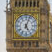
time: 5:03
